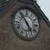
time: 4:53
